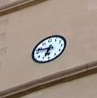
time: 6:47
